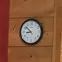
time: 8:52
